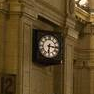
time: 6:15
